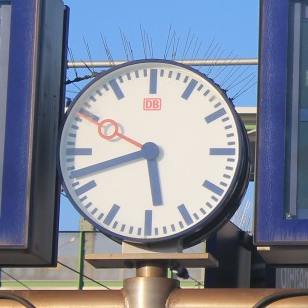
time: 5:42
